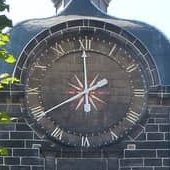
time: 1:59
